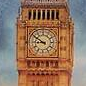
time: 8:50
